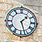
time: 1:26
